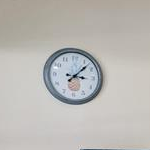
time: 3:07
